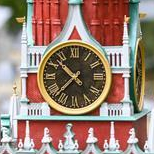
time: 10:37
